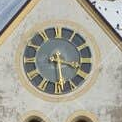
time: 3:28
